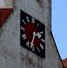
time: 2:33
